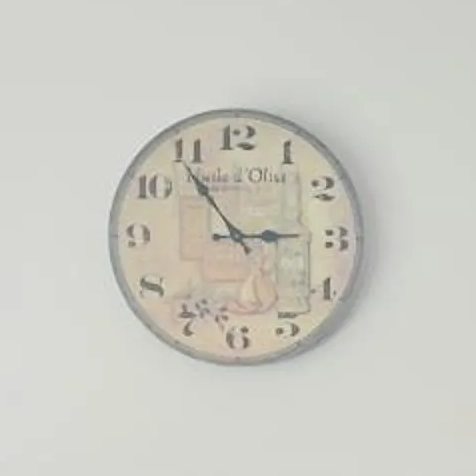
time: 2:53
